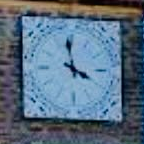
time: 3:58
